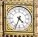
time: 4:33
